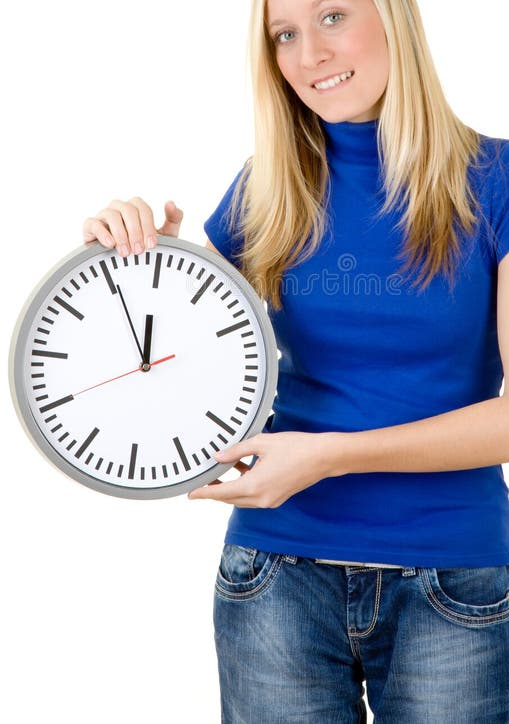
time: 11:55
